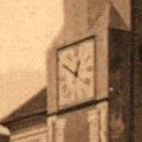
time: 12:50
